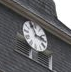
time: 2:56
